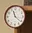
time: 11:21
